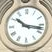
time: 10:17
